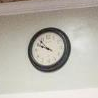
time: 9:53
